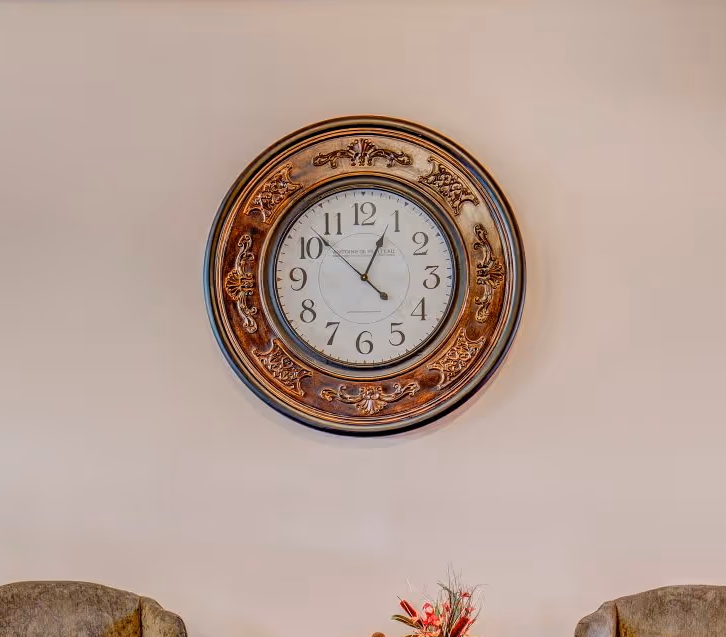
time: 12:52
